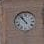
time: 10:53
